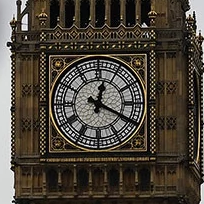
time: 12:19
